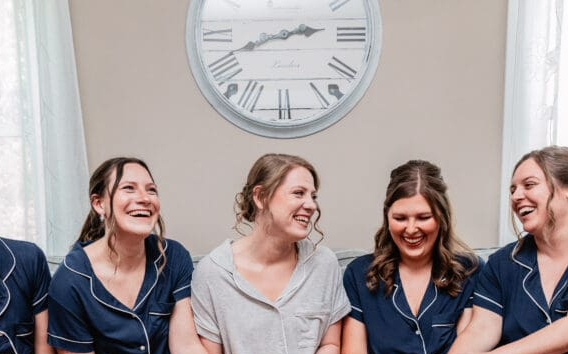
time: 2:41
